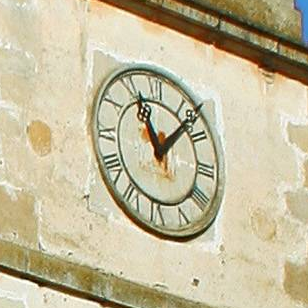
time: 11:07
